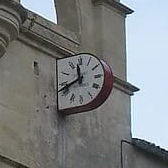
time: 11:41
